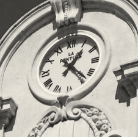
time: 1:23
